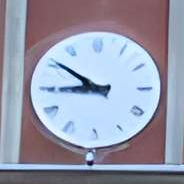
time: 8:50
